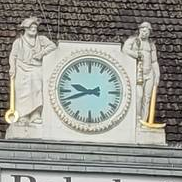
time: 9:42
